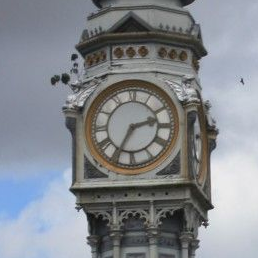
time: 2:34
